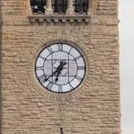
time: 6:38
